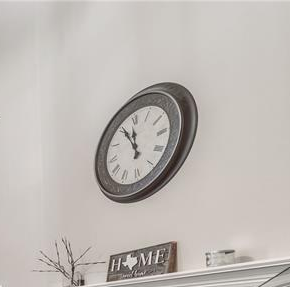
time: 11:55
